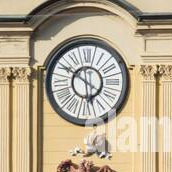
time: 5:50
